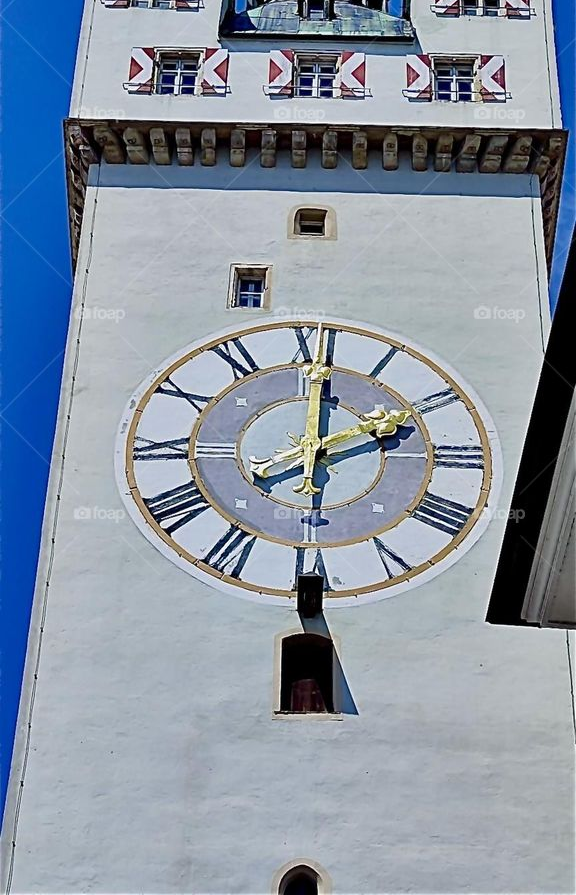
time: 2:01
